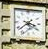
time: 3:38
